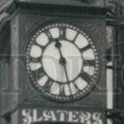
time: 11:27
